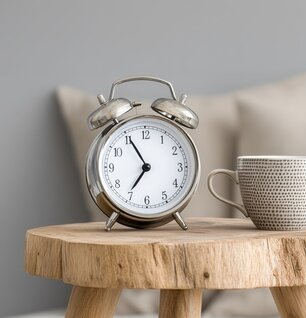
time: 6:55
